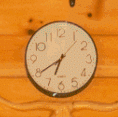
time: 6:39
